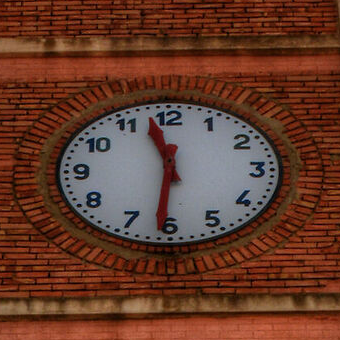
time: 11:31
